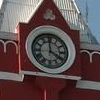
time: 3:59
